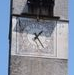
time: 1:24
